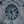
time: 5:09
